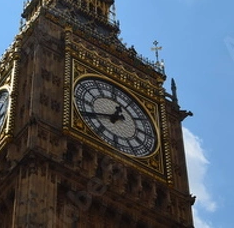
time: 12:41
